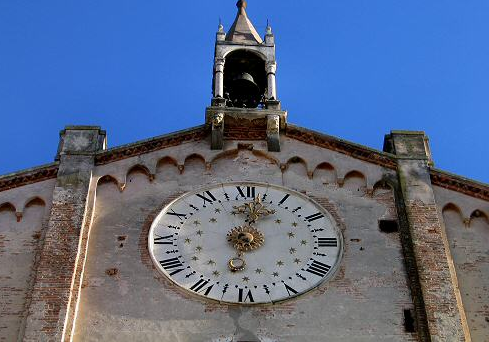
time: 12:01
